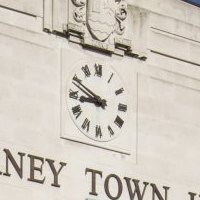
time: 8:49
